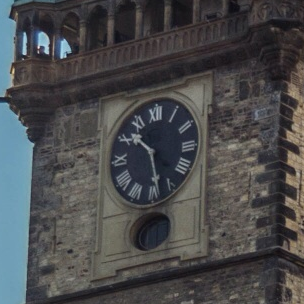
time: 10:28
